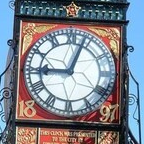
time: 9:03
